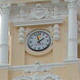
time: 1:57
